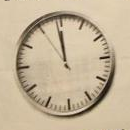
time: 11:58
